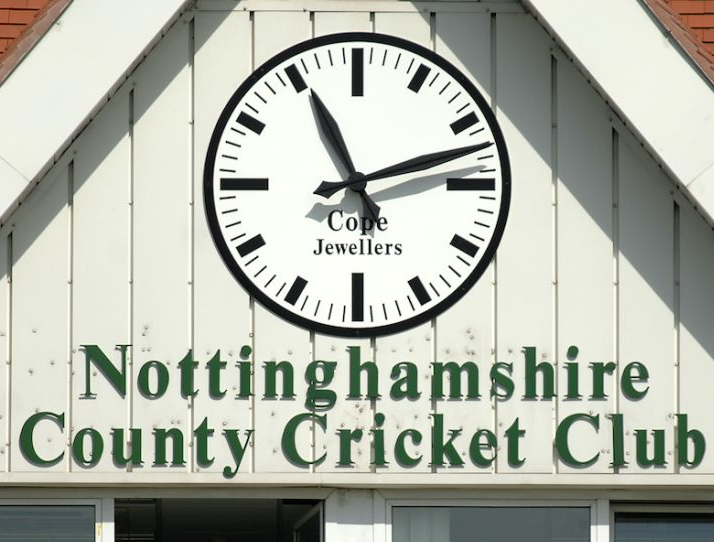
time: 11:12
